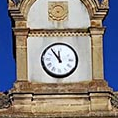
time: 11:53
